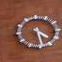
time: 4:28
